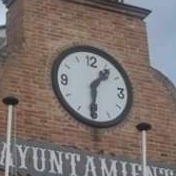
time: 1:30
